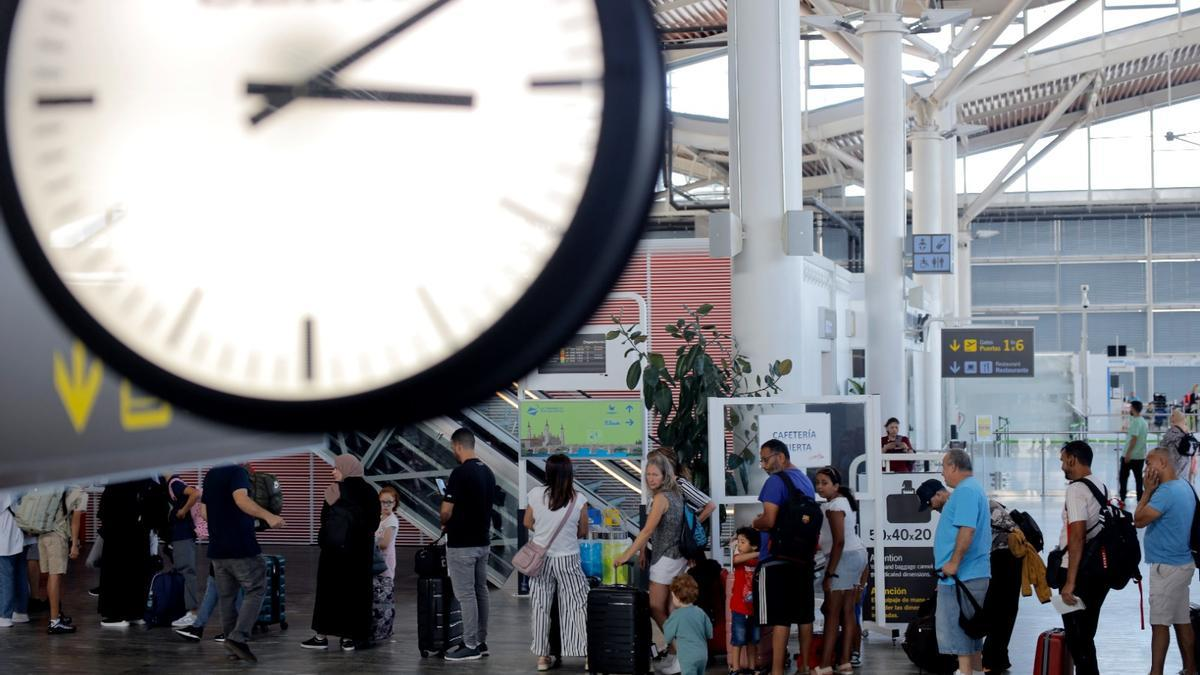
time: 3:09
